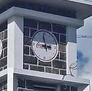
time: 2:58
